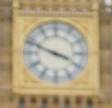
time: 3:48
